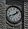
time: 1:41
